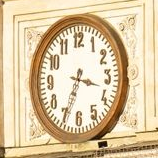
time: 3:34
